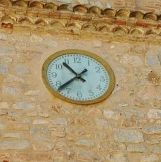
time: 10:37
